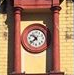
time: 10:37
